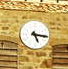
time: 5:16
